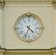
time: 4:33
